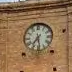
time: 7:28
